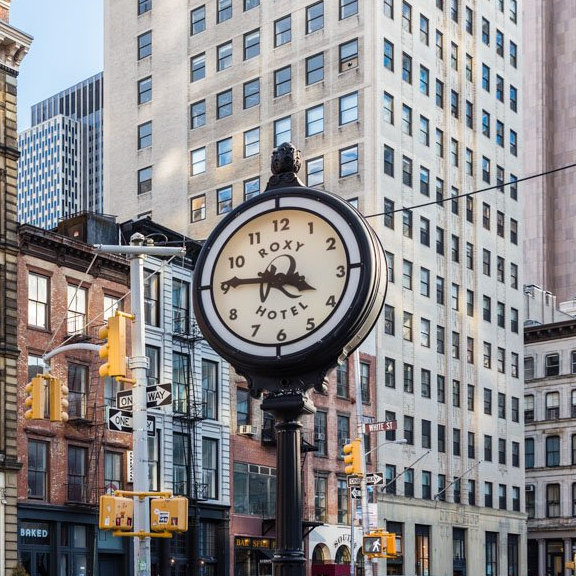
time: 3:45
